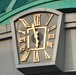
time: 11:57
